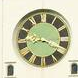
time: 8:18
